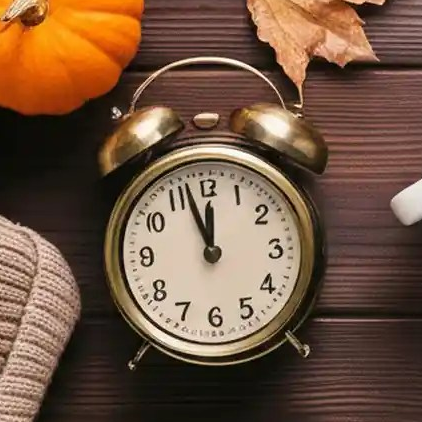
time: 11:57
